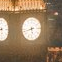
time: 5:42
